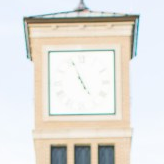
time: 4:56
